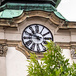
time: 10:48
